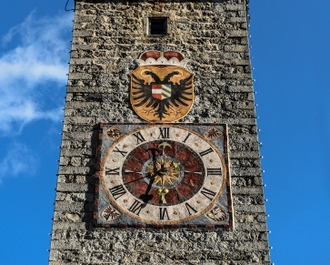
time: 11:33
